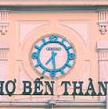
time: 7:28
